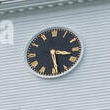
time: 3:28
